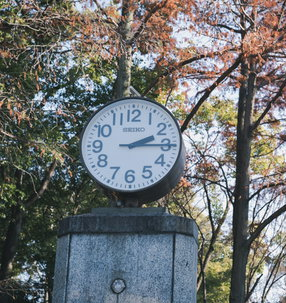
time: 2:15
